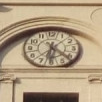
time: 6:21
